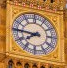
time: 7:45
